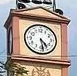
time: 4:28
